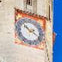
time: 2:19
